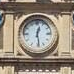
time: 12:28
